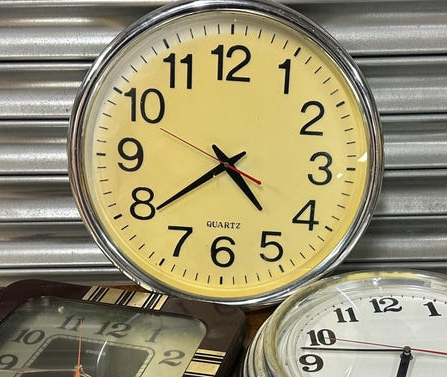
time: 4:39
